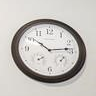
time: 10:13
